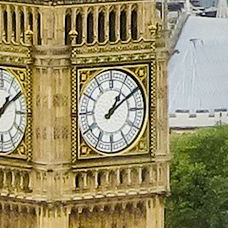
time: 1:09
